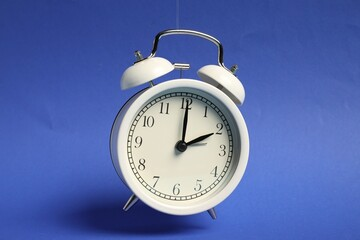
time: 2:00
